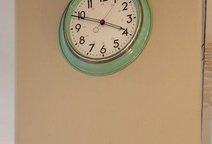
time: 3:48
